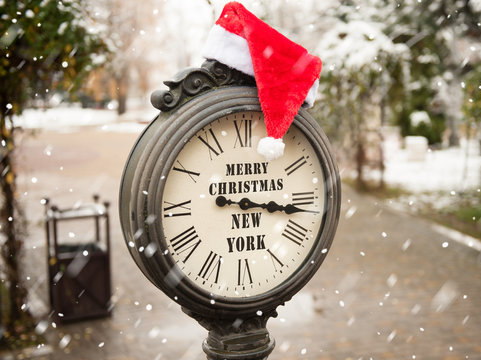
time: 3:16
